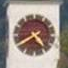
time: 4:40
